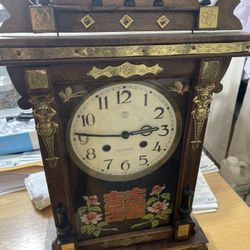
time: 2:46
